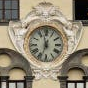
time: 11:33
